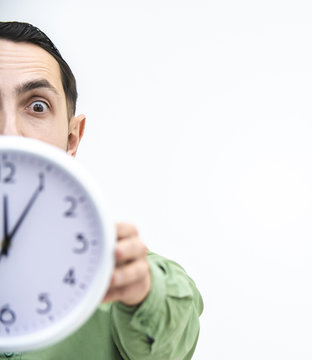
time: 12:05
